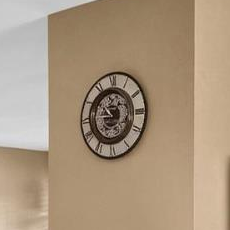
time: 8:51
